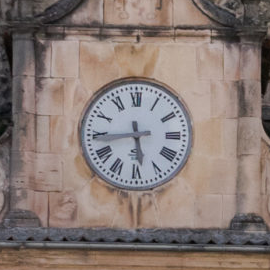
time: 5:43
